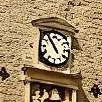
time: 10:53
